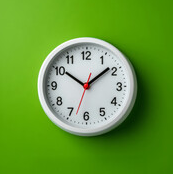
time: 10:08
